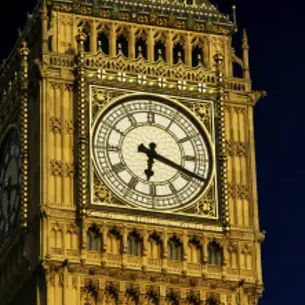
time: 6:18
